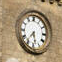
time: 5:36
